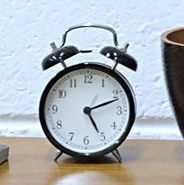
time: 5:11
